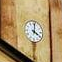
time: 4:01
